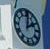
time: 2:01
